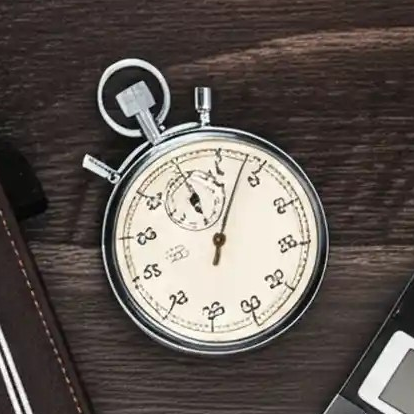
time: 11:02
